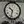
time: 10:32
